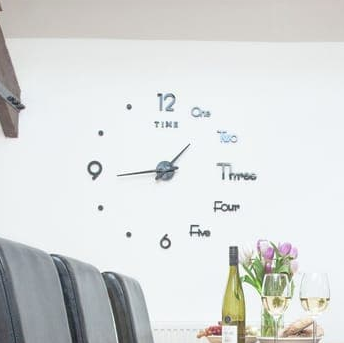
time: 1:43
